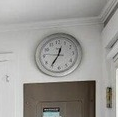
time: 12:35
